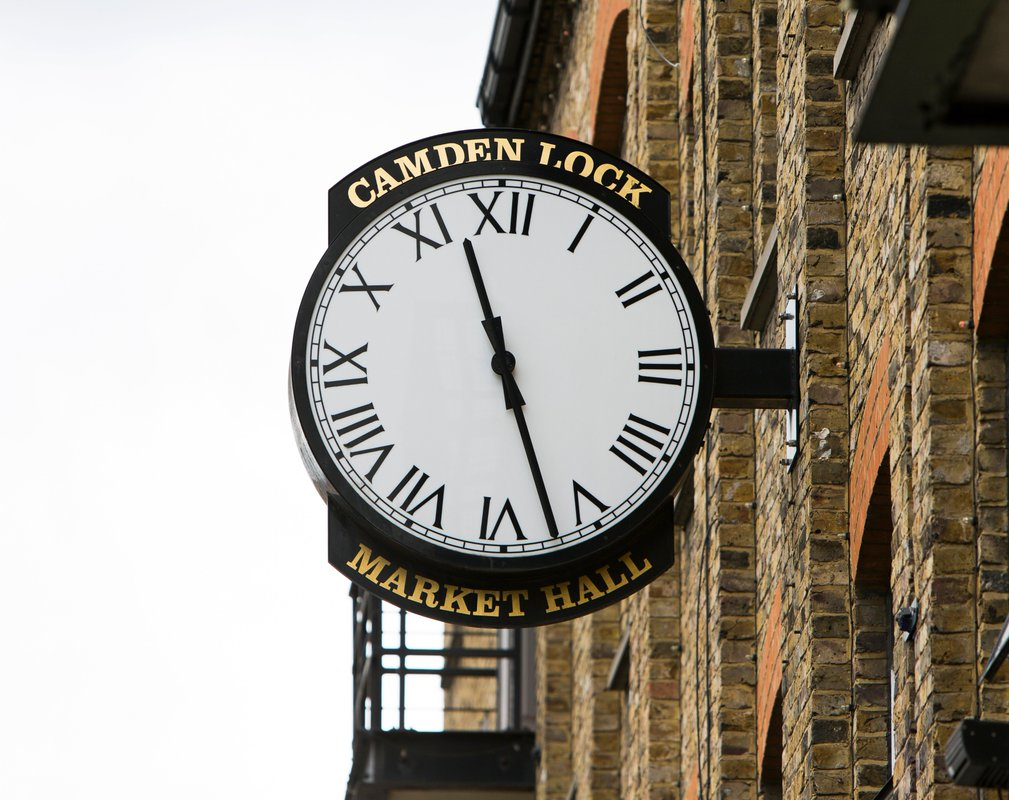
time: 11:27
